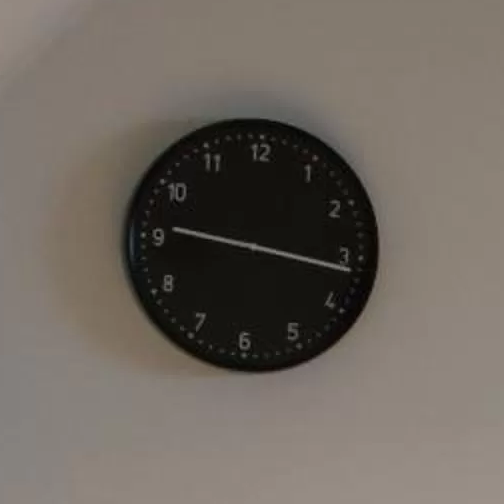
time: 9:16
